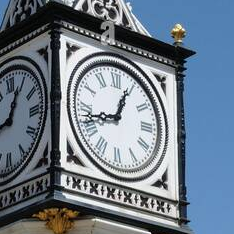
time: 12:42
